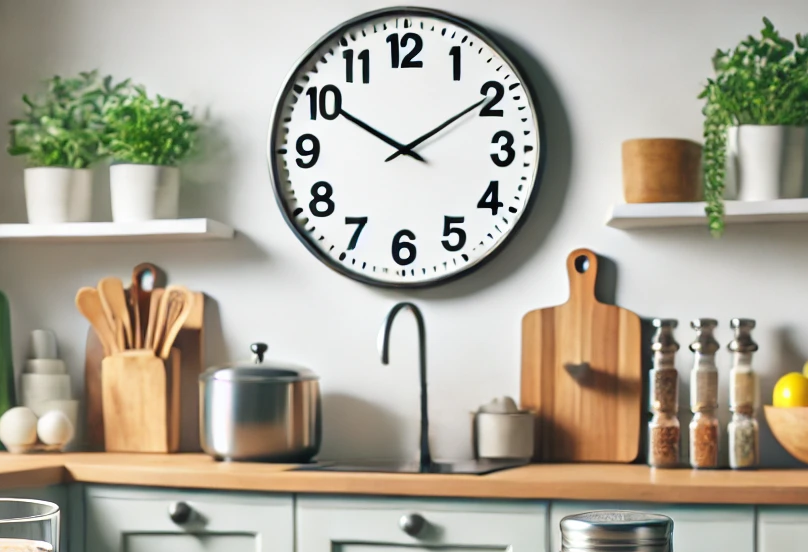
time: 10:09
